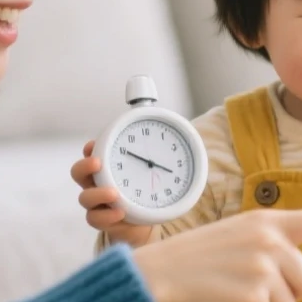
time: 3:49
